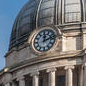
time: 12:12
